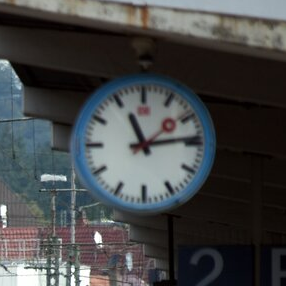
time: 11:13
